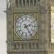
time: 2:24
